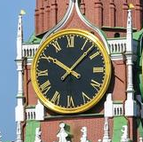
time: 10:07
